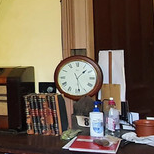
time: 1:28
